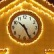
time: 10:25
